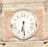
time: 6:29
